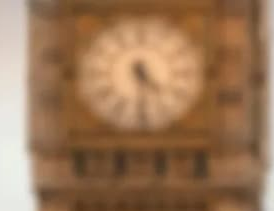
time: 4:29
